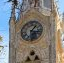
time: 1:16
